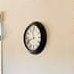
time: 11:41
